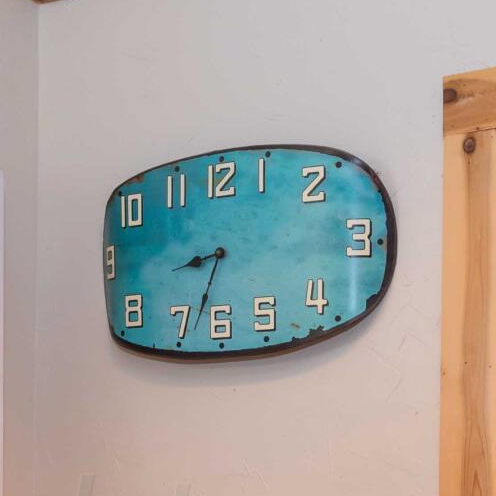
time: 8:33
